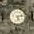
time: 5:12
